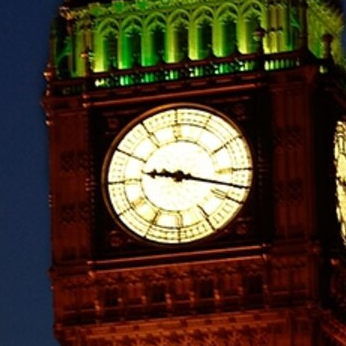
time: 9:17
